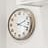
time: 2:18
